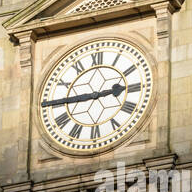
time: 2:45
